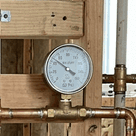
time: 3:51
